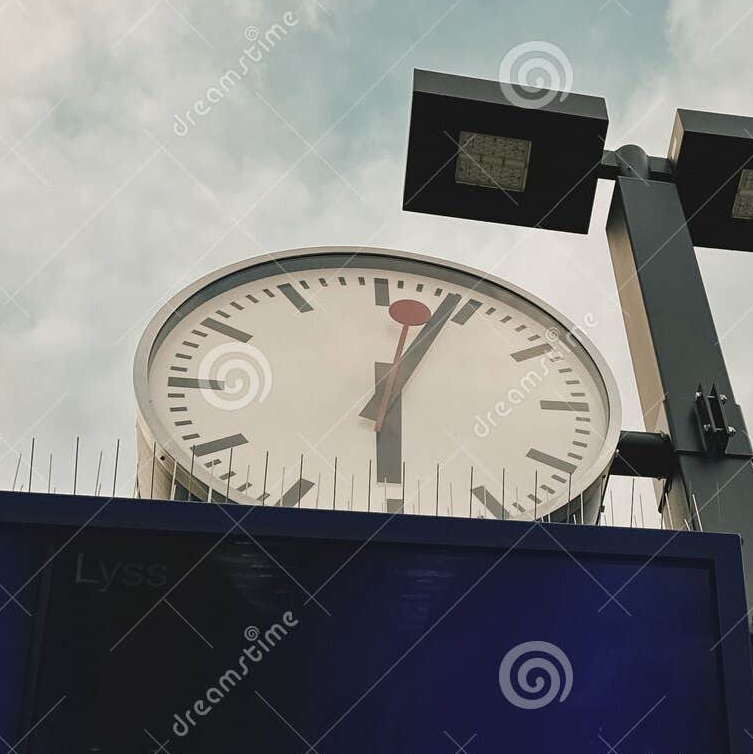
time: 6:03
